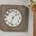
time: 1:33
